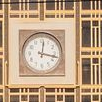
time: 12:17
